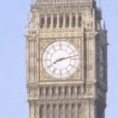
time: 8:12
